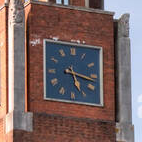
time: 5:17
